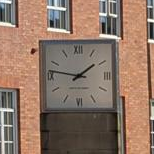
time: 1:46
